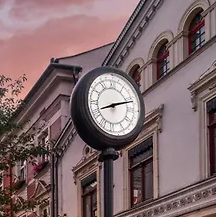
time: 8:12
